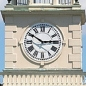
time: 2:50
